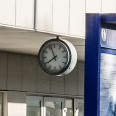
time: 7:56
